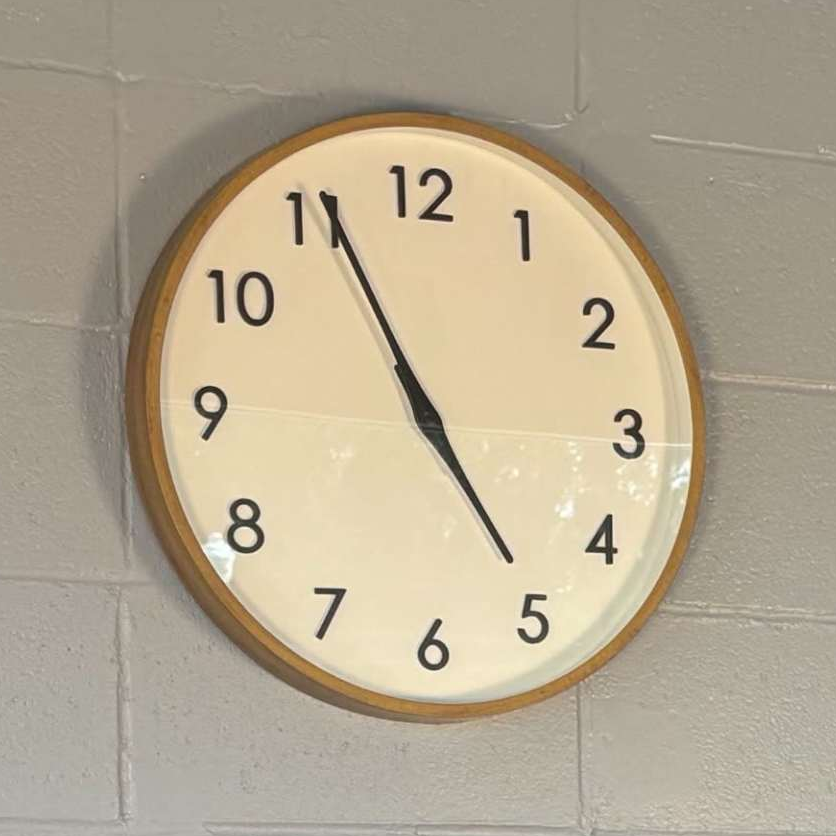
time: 4:55
